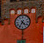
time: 4:35
